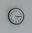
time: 3:14
